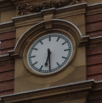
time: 6:29
